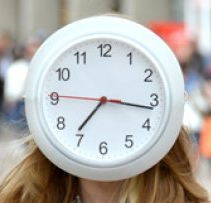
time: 7:16
